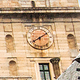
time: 8:09
